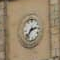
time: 2:36
